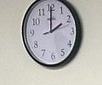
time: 2:00
